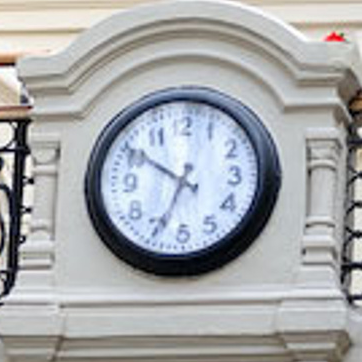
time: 6:50
